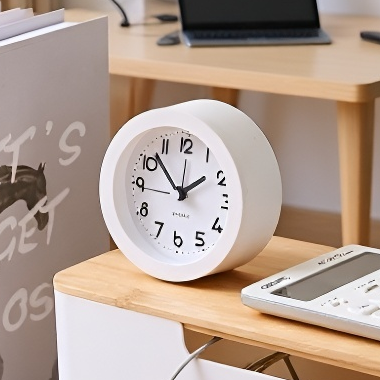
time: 1:52
